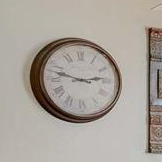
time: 2:47
